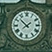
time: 1:52
